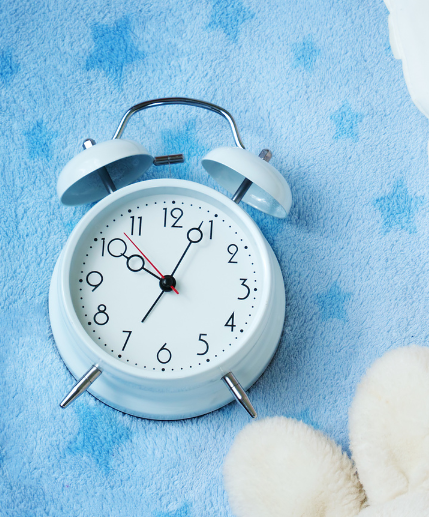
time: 10:04
